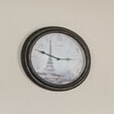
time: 2:48
